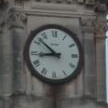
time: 8:51
